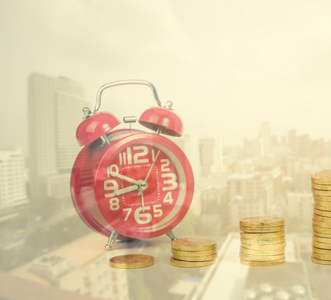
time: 9:42
